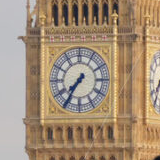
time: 7:35
